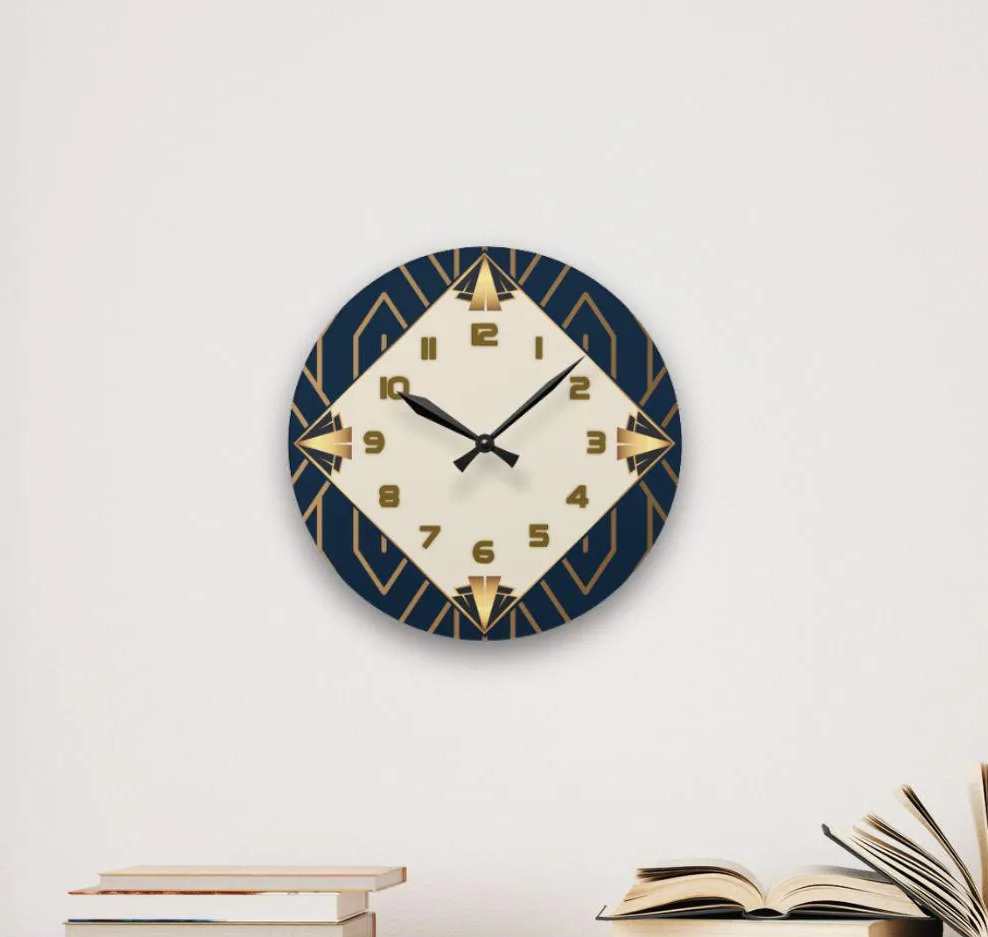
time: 10:07
